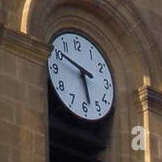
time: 5:50
